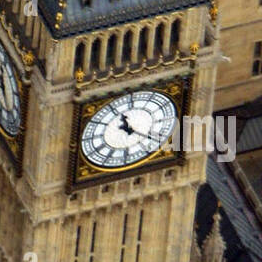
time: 11:21
